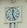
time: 12:26
